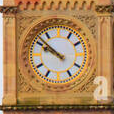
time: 9:51
